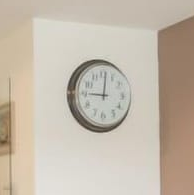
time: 9:01
